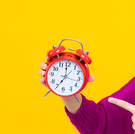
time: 6:59
